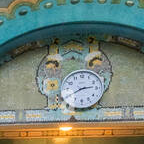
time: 2:40
